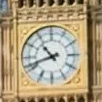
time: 10:41
